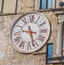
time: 9:27
